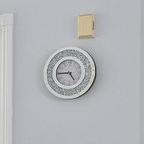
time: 4:44
